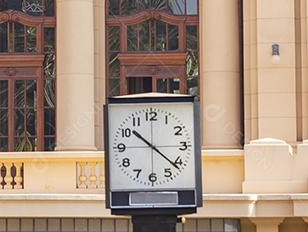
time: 10:21
